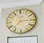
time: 2:37
